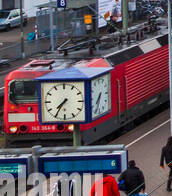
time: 7:35
